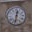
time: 12:32
